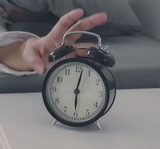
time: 6:02
